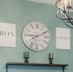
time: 9:10
